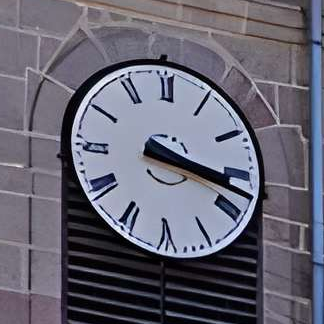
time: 3:17
